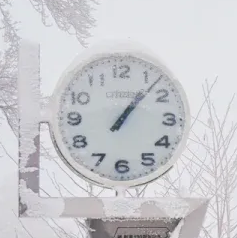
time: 1:07
